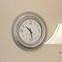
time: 10:28
